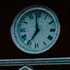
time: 6:58
